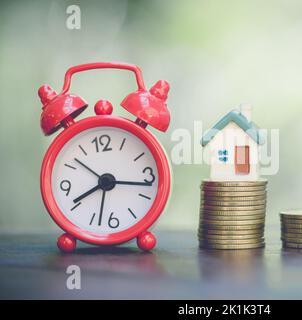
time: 8:16
